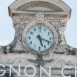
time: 5:18
